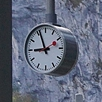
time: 8:56
